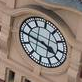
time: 3:45
